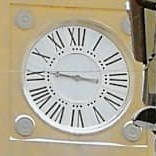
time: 9:16
